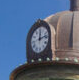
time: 12:12
